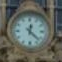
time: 12:22
